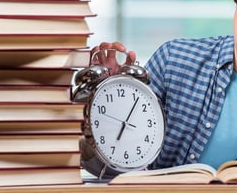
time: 7:06
